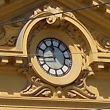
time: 11:44
